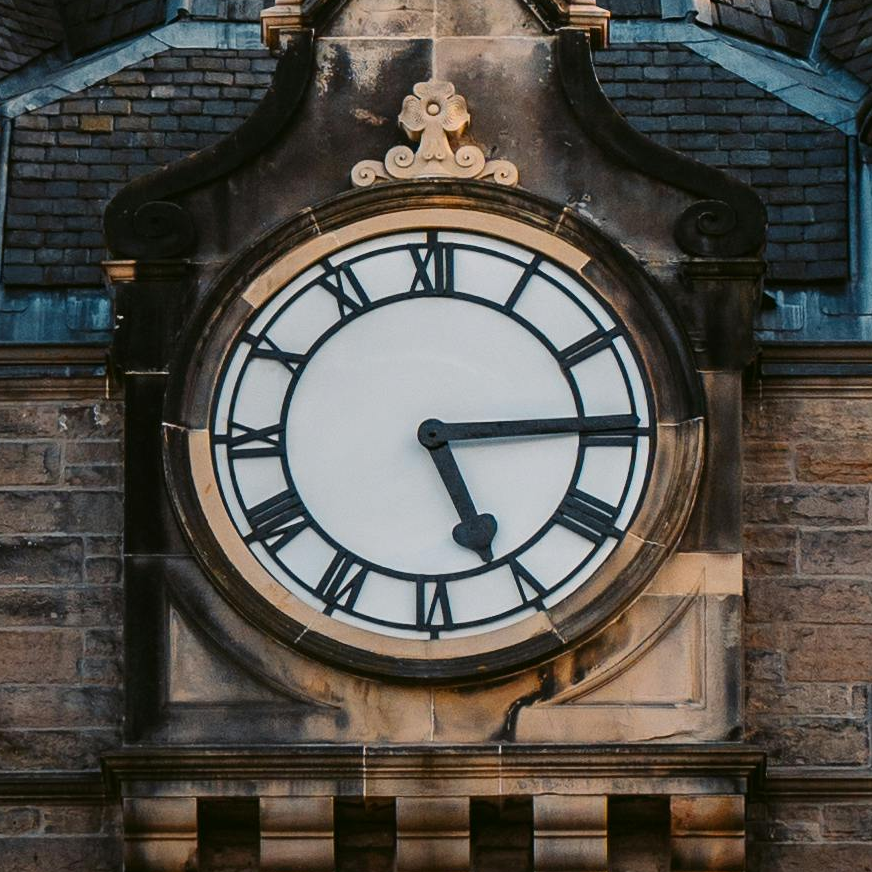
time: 5:14
